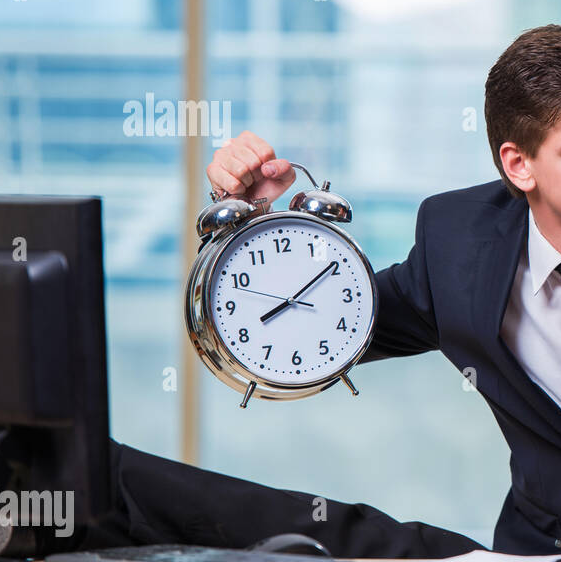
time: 8:09
